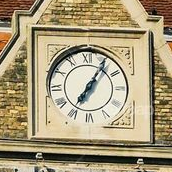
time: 7:06
